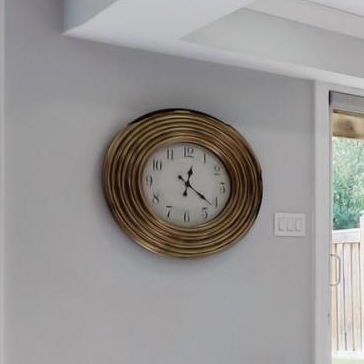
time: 12:21
